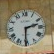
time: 2:30
